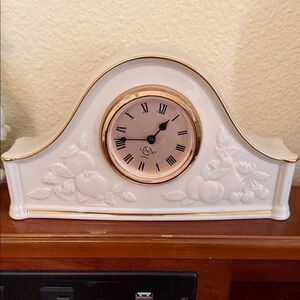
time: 1:43
